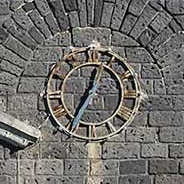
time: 12:34
